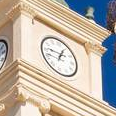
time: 12:46
